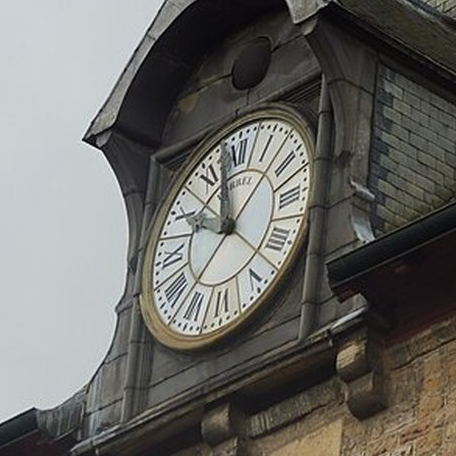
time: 9:57
